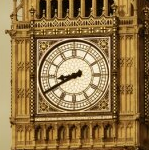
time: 8:40
